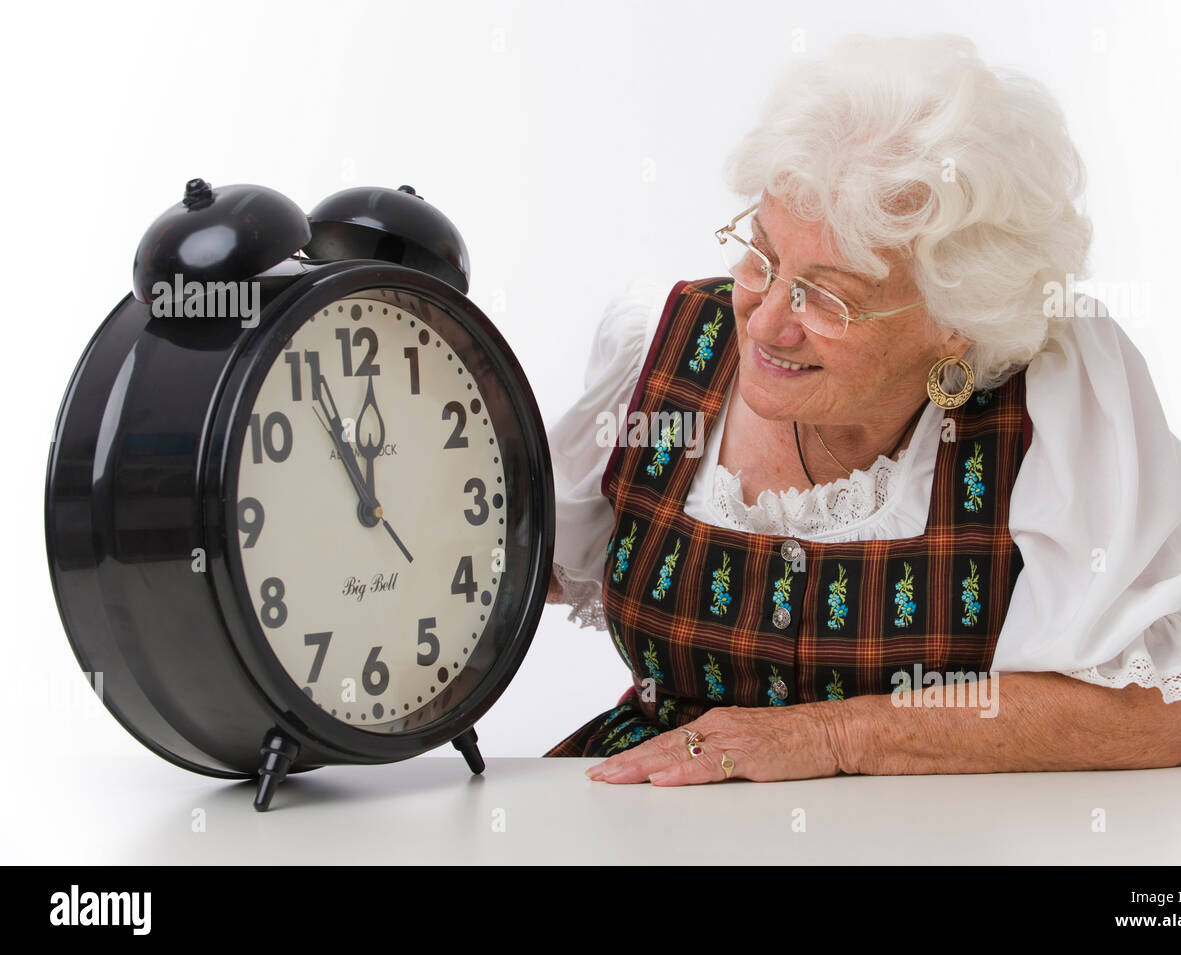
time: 11:55
